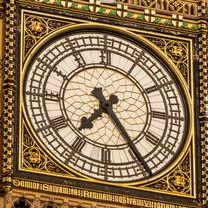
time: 7:24
